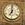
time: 7:00
